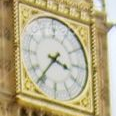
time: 3:36
